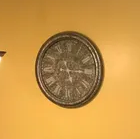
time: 5:14
